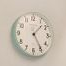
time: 1:24
